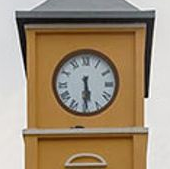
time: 5:29
